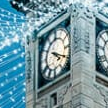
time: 4:19
